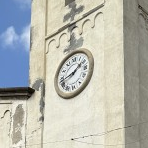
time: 1:42
